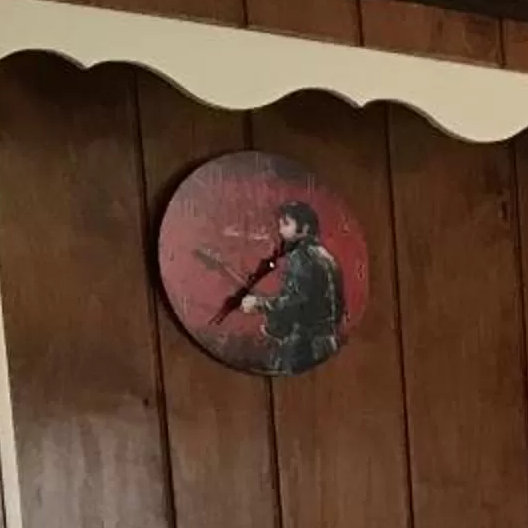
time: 1:37
